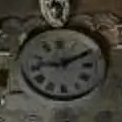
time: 9:10
